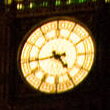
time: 4:43
